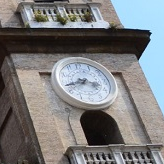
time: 3:40
